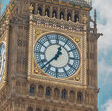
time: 12:37
